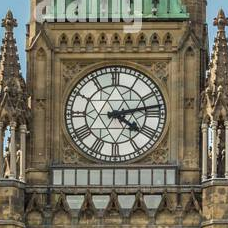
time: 4:12
